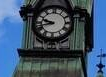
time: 9:42
